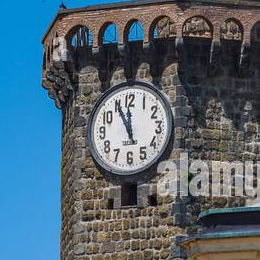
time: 11:55
